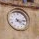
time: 4:13
